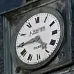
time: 4:44
